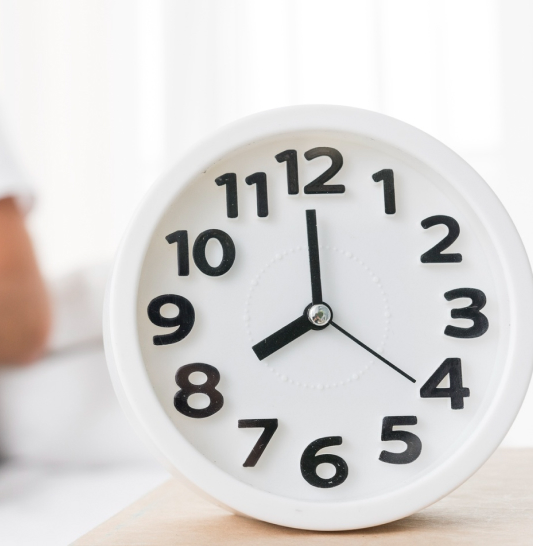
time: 7:59
